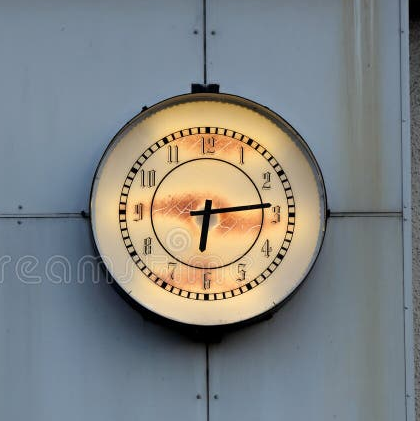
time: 6:14
